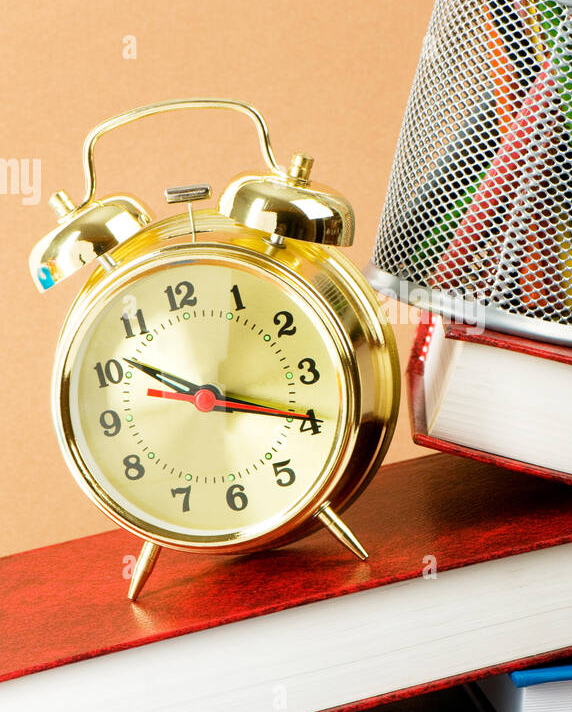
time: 10:19
